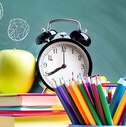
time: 8:00
